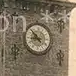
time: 8:52
